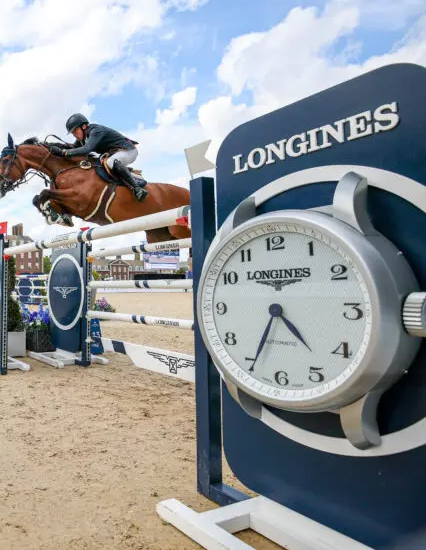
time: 4:34
